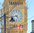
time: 4:42
